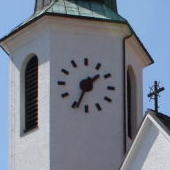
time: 1:33
